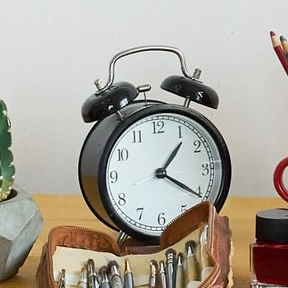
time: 1:20
